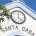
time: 12:22
